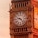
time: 9:22
